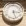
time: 3:27
